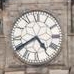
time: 4:40
